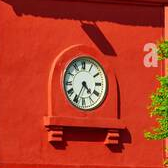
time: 4:34
